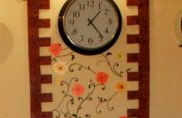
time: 1:23
